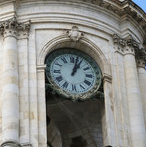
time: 1:02
